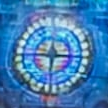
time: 6:15
